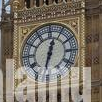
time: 12:32
